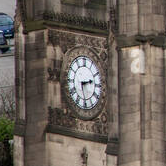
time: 2:29
